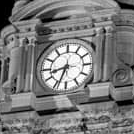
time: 8:33
